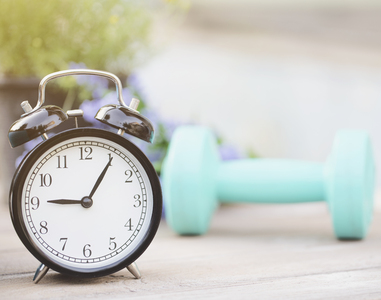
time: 9:05
